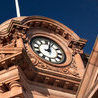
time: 12:02
